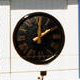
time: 2:01
